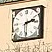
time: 2:29
